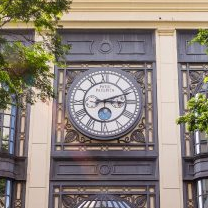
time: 3:11
